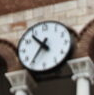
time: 10:36
